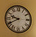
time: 9:40
